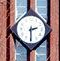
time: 2:30
